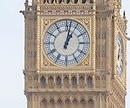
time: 1:02
